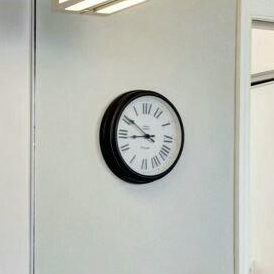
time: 8:50
